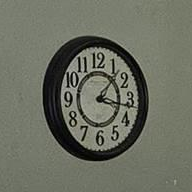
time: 1:16
